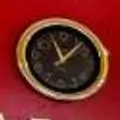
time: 11:07
